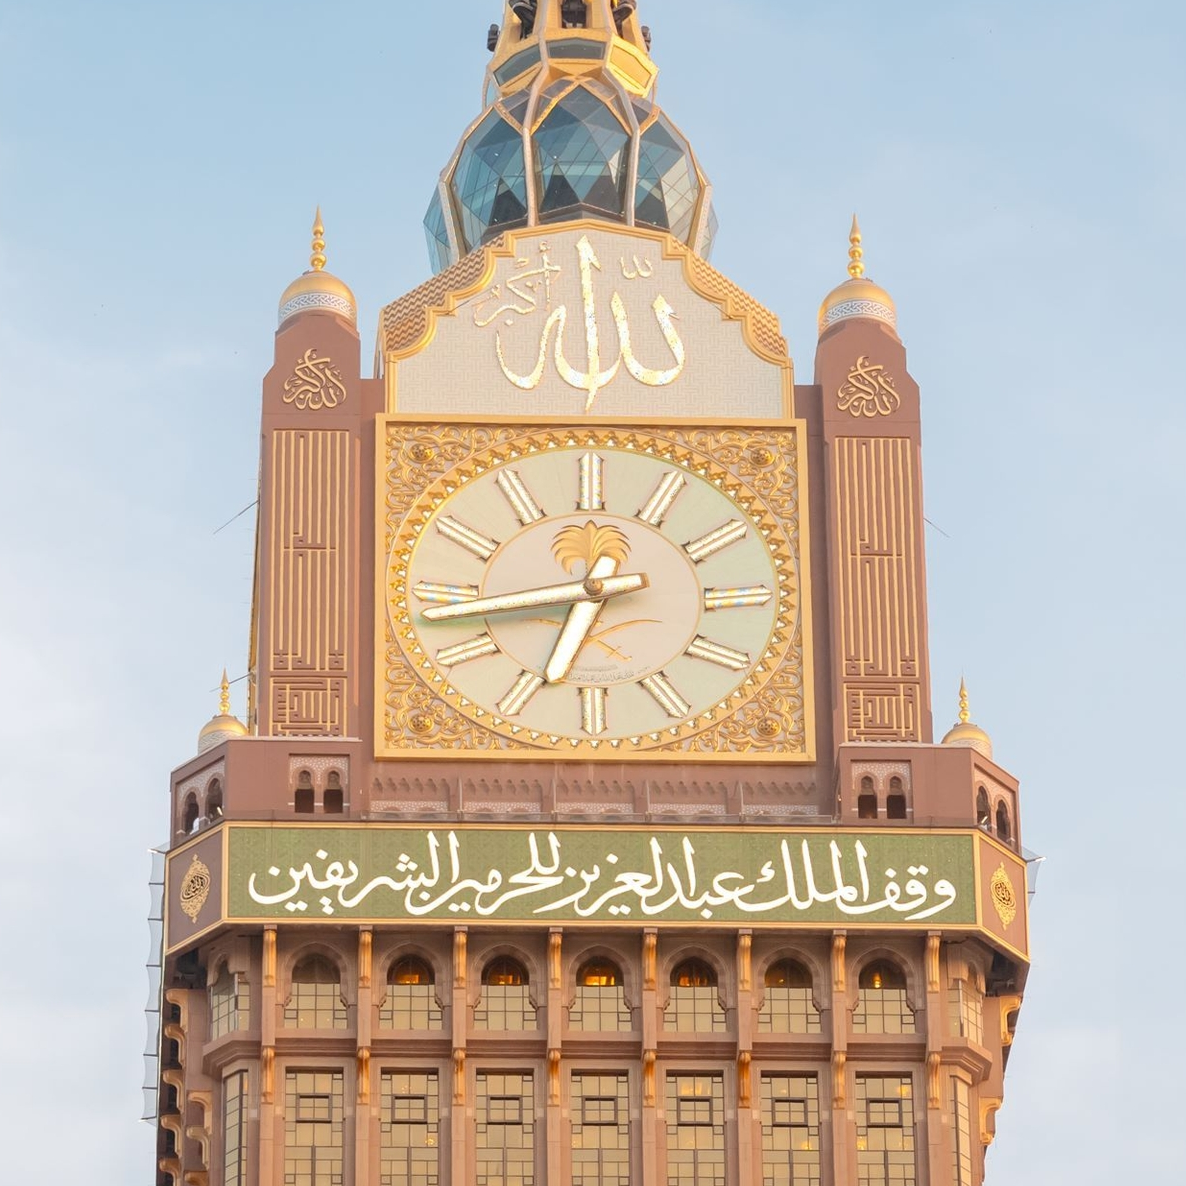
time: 6:43
